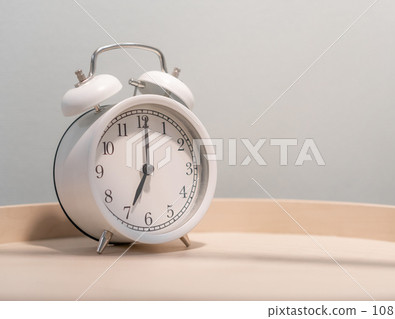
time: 7:00
